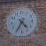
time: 4:35
